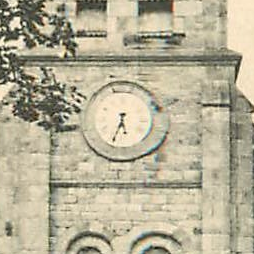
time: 5:33
